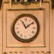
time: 11:08
